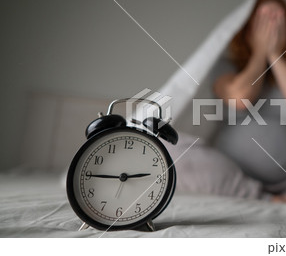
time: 2:45
